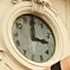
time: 2:59
